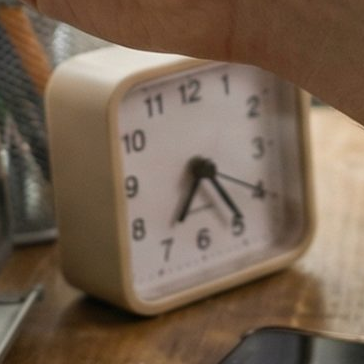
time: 7:24
